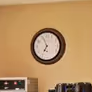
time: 6:56
